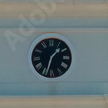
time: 1:33
